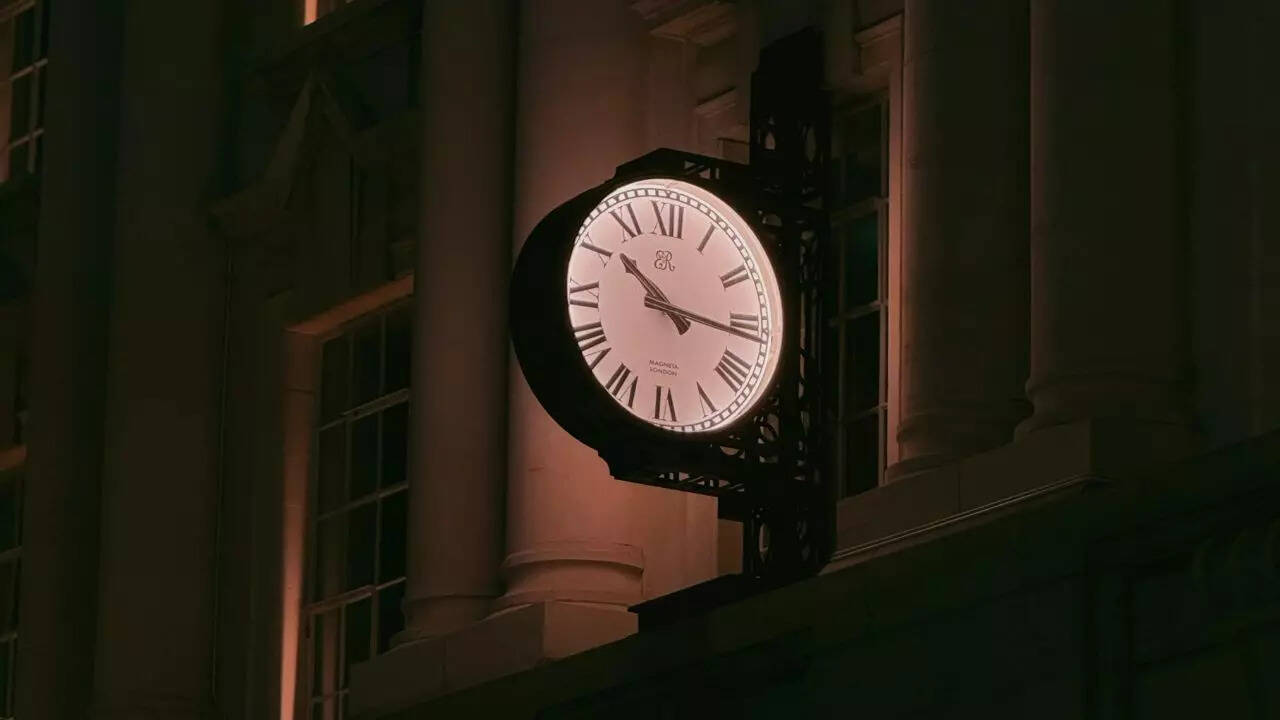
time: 10:16
